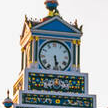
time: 5:28
